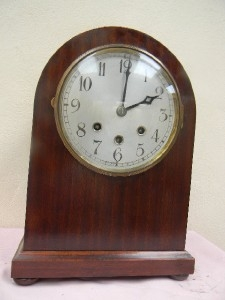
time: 2:00
